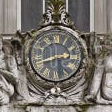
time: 2:42
